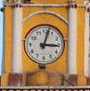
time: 3:02
